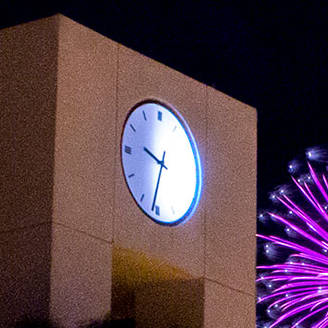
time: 9:31
